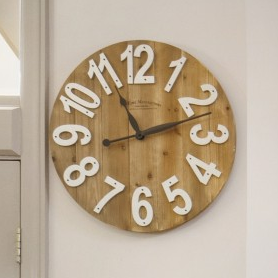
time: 11:12
